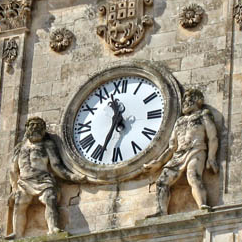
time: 11:33
